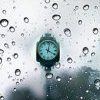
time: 4:02
